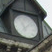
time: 11:07
